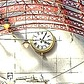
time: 4:04
